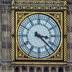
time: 3:22
